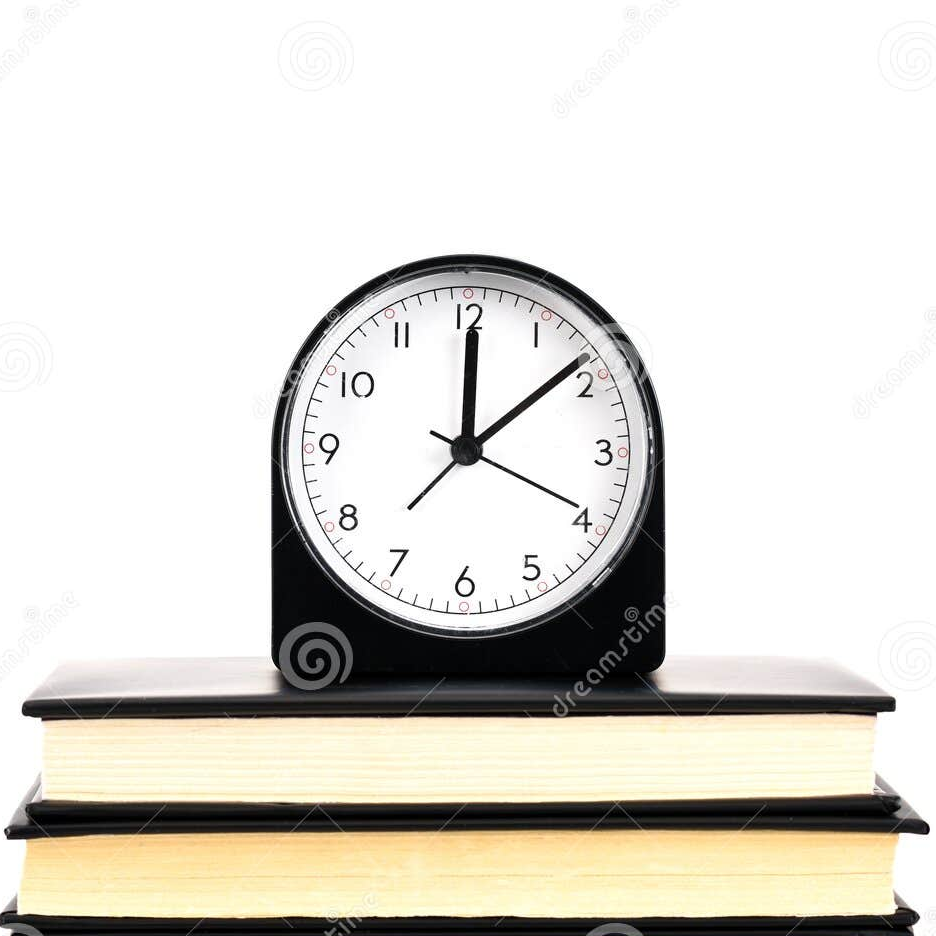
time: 12:08
